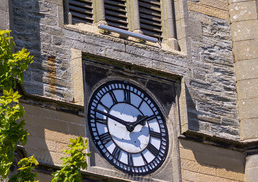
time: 1:47
